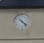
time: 4:22
